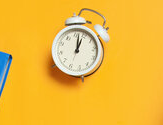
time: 1:02
